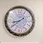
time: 8:39
